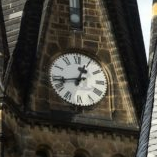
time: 12:43
